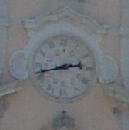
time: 2:42
